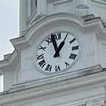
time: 12:57
